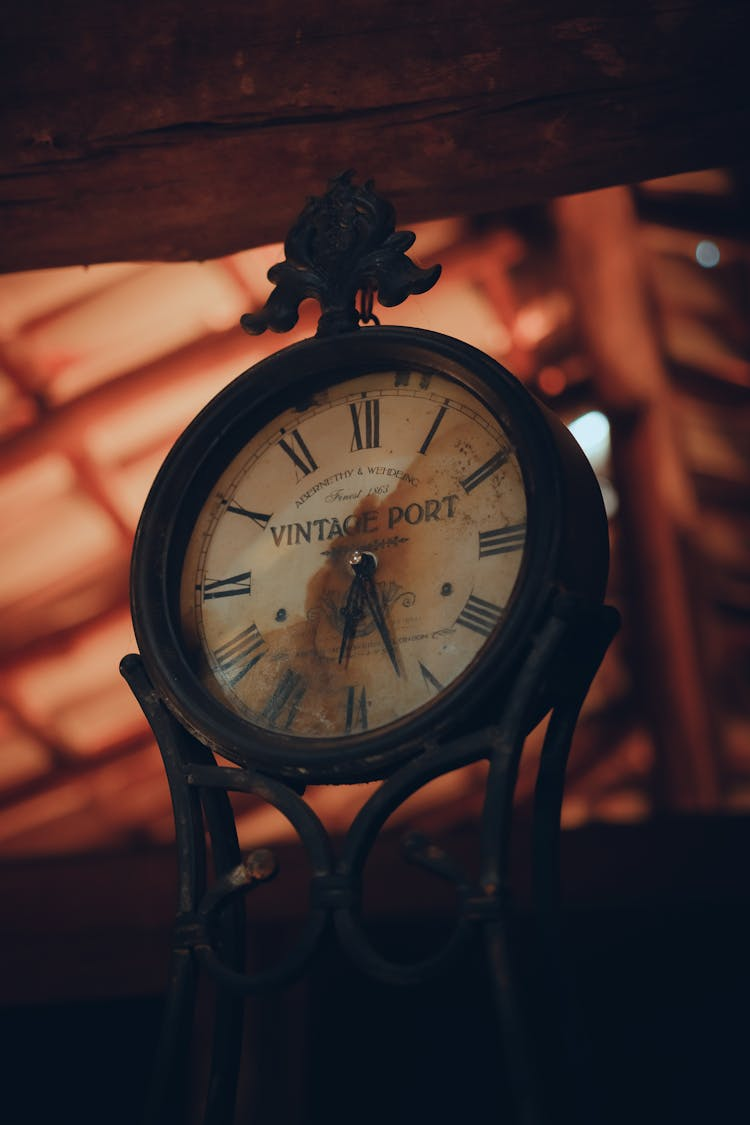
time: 6:27
